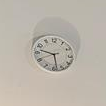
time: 9:28
